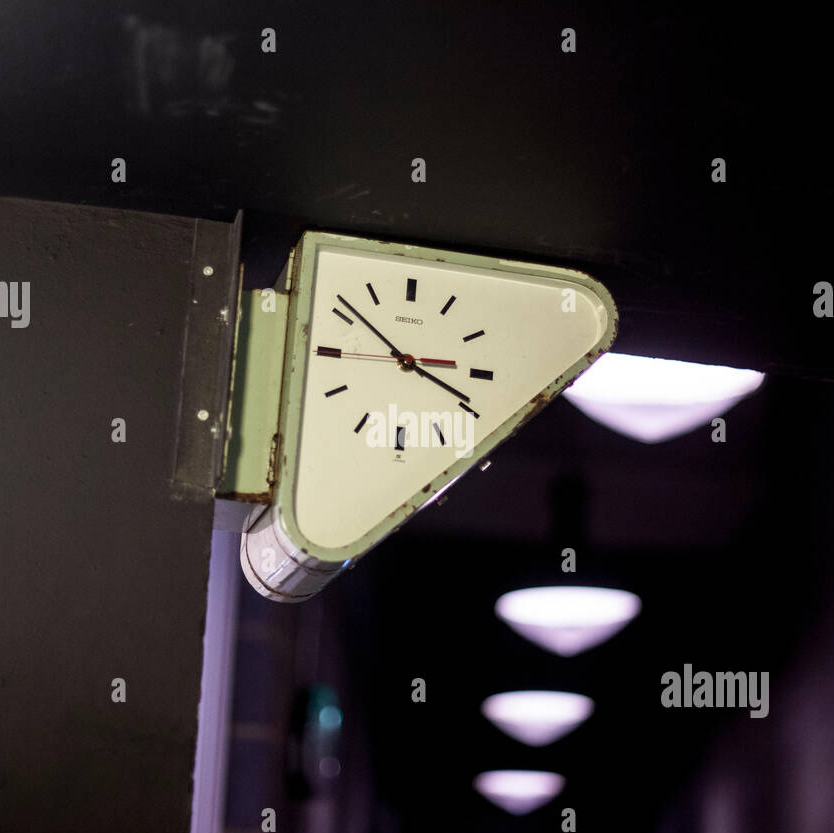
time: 3:51
